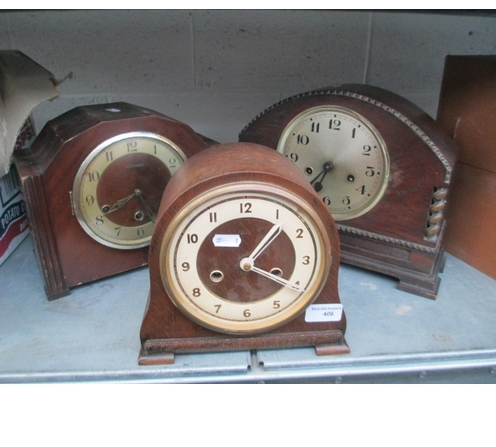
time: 1:20
